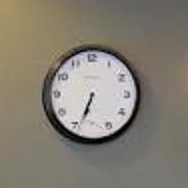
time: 6:33
